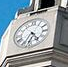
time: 4:34
